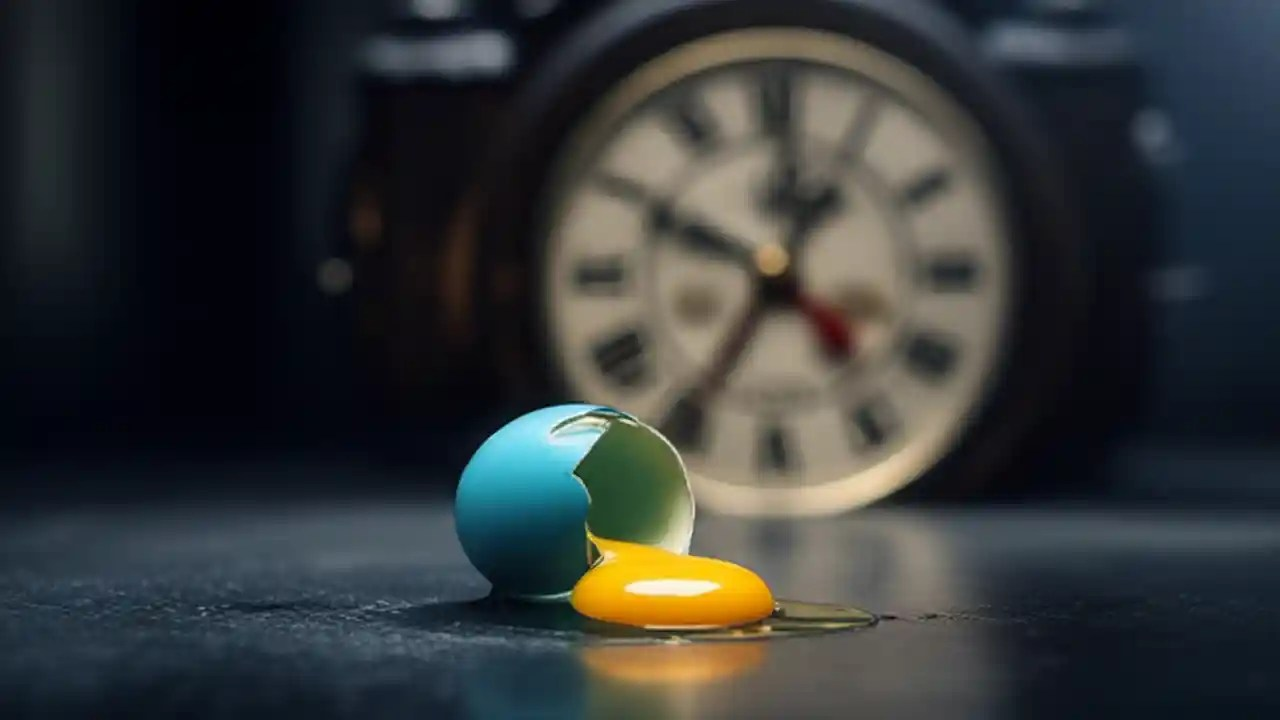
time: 12:34
